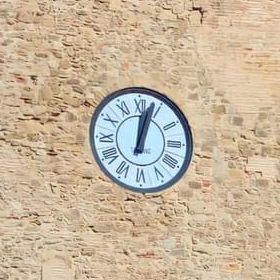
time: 12:02
